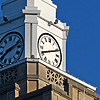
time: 8:11
